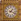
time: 1:18
